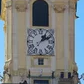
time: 1:10
